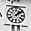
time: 1:08
